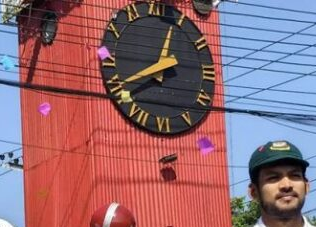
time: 12:45
